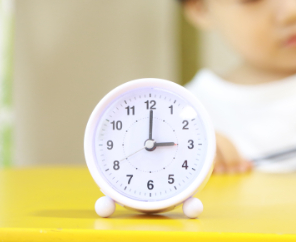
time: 3:00
